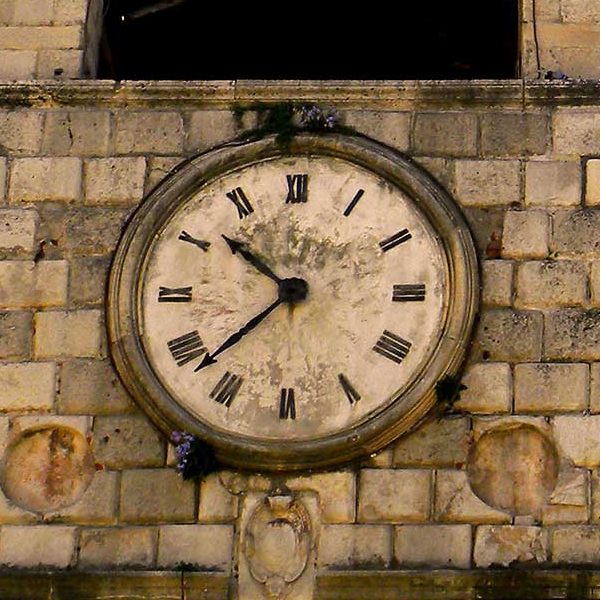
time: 10:37
